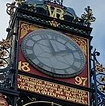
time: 1:57
